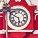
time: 5:49
